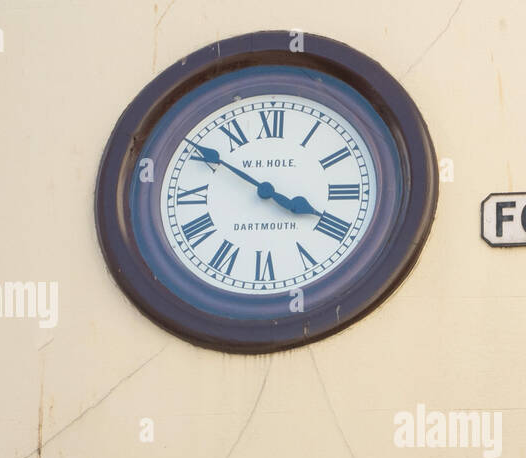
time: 3:50
